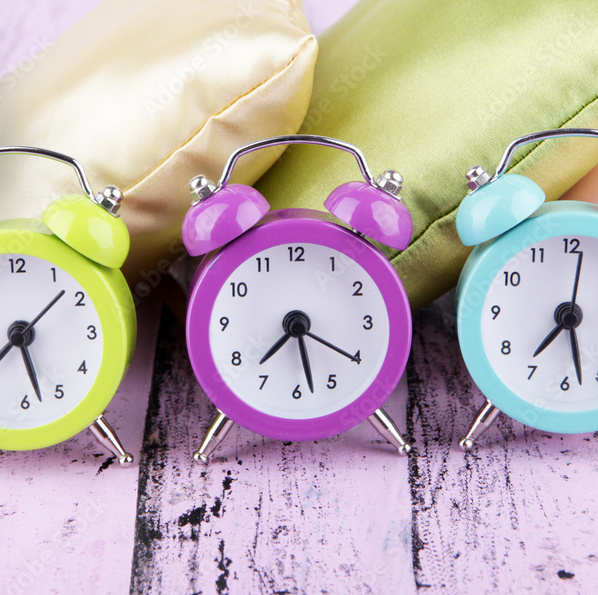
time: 7:28
